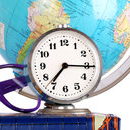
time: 7:15
